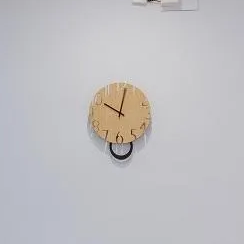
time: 10:02
